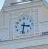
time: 3:32
